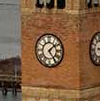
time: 1:24
